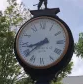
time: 8:38
